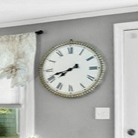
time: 7:41
